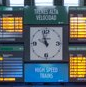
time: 9:56
